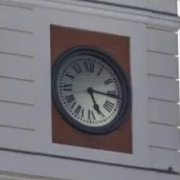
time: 5:15
